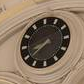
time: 8:38
